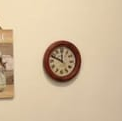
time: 11:48
